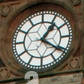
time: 1:20
